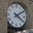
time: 4:09
